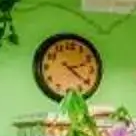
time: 4:12
